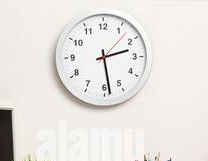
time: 2:28
